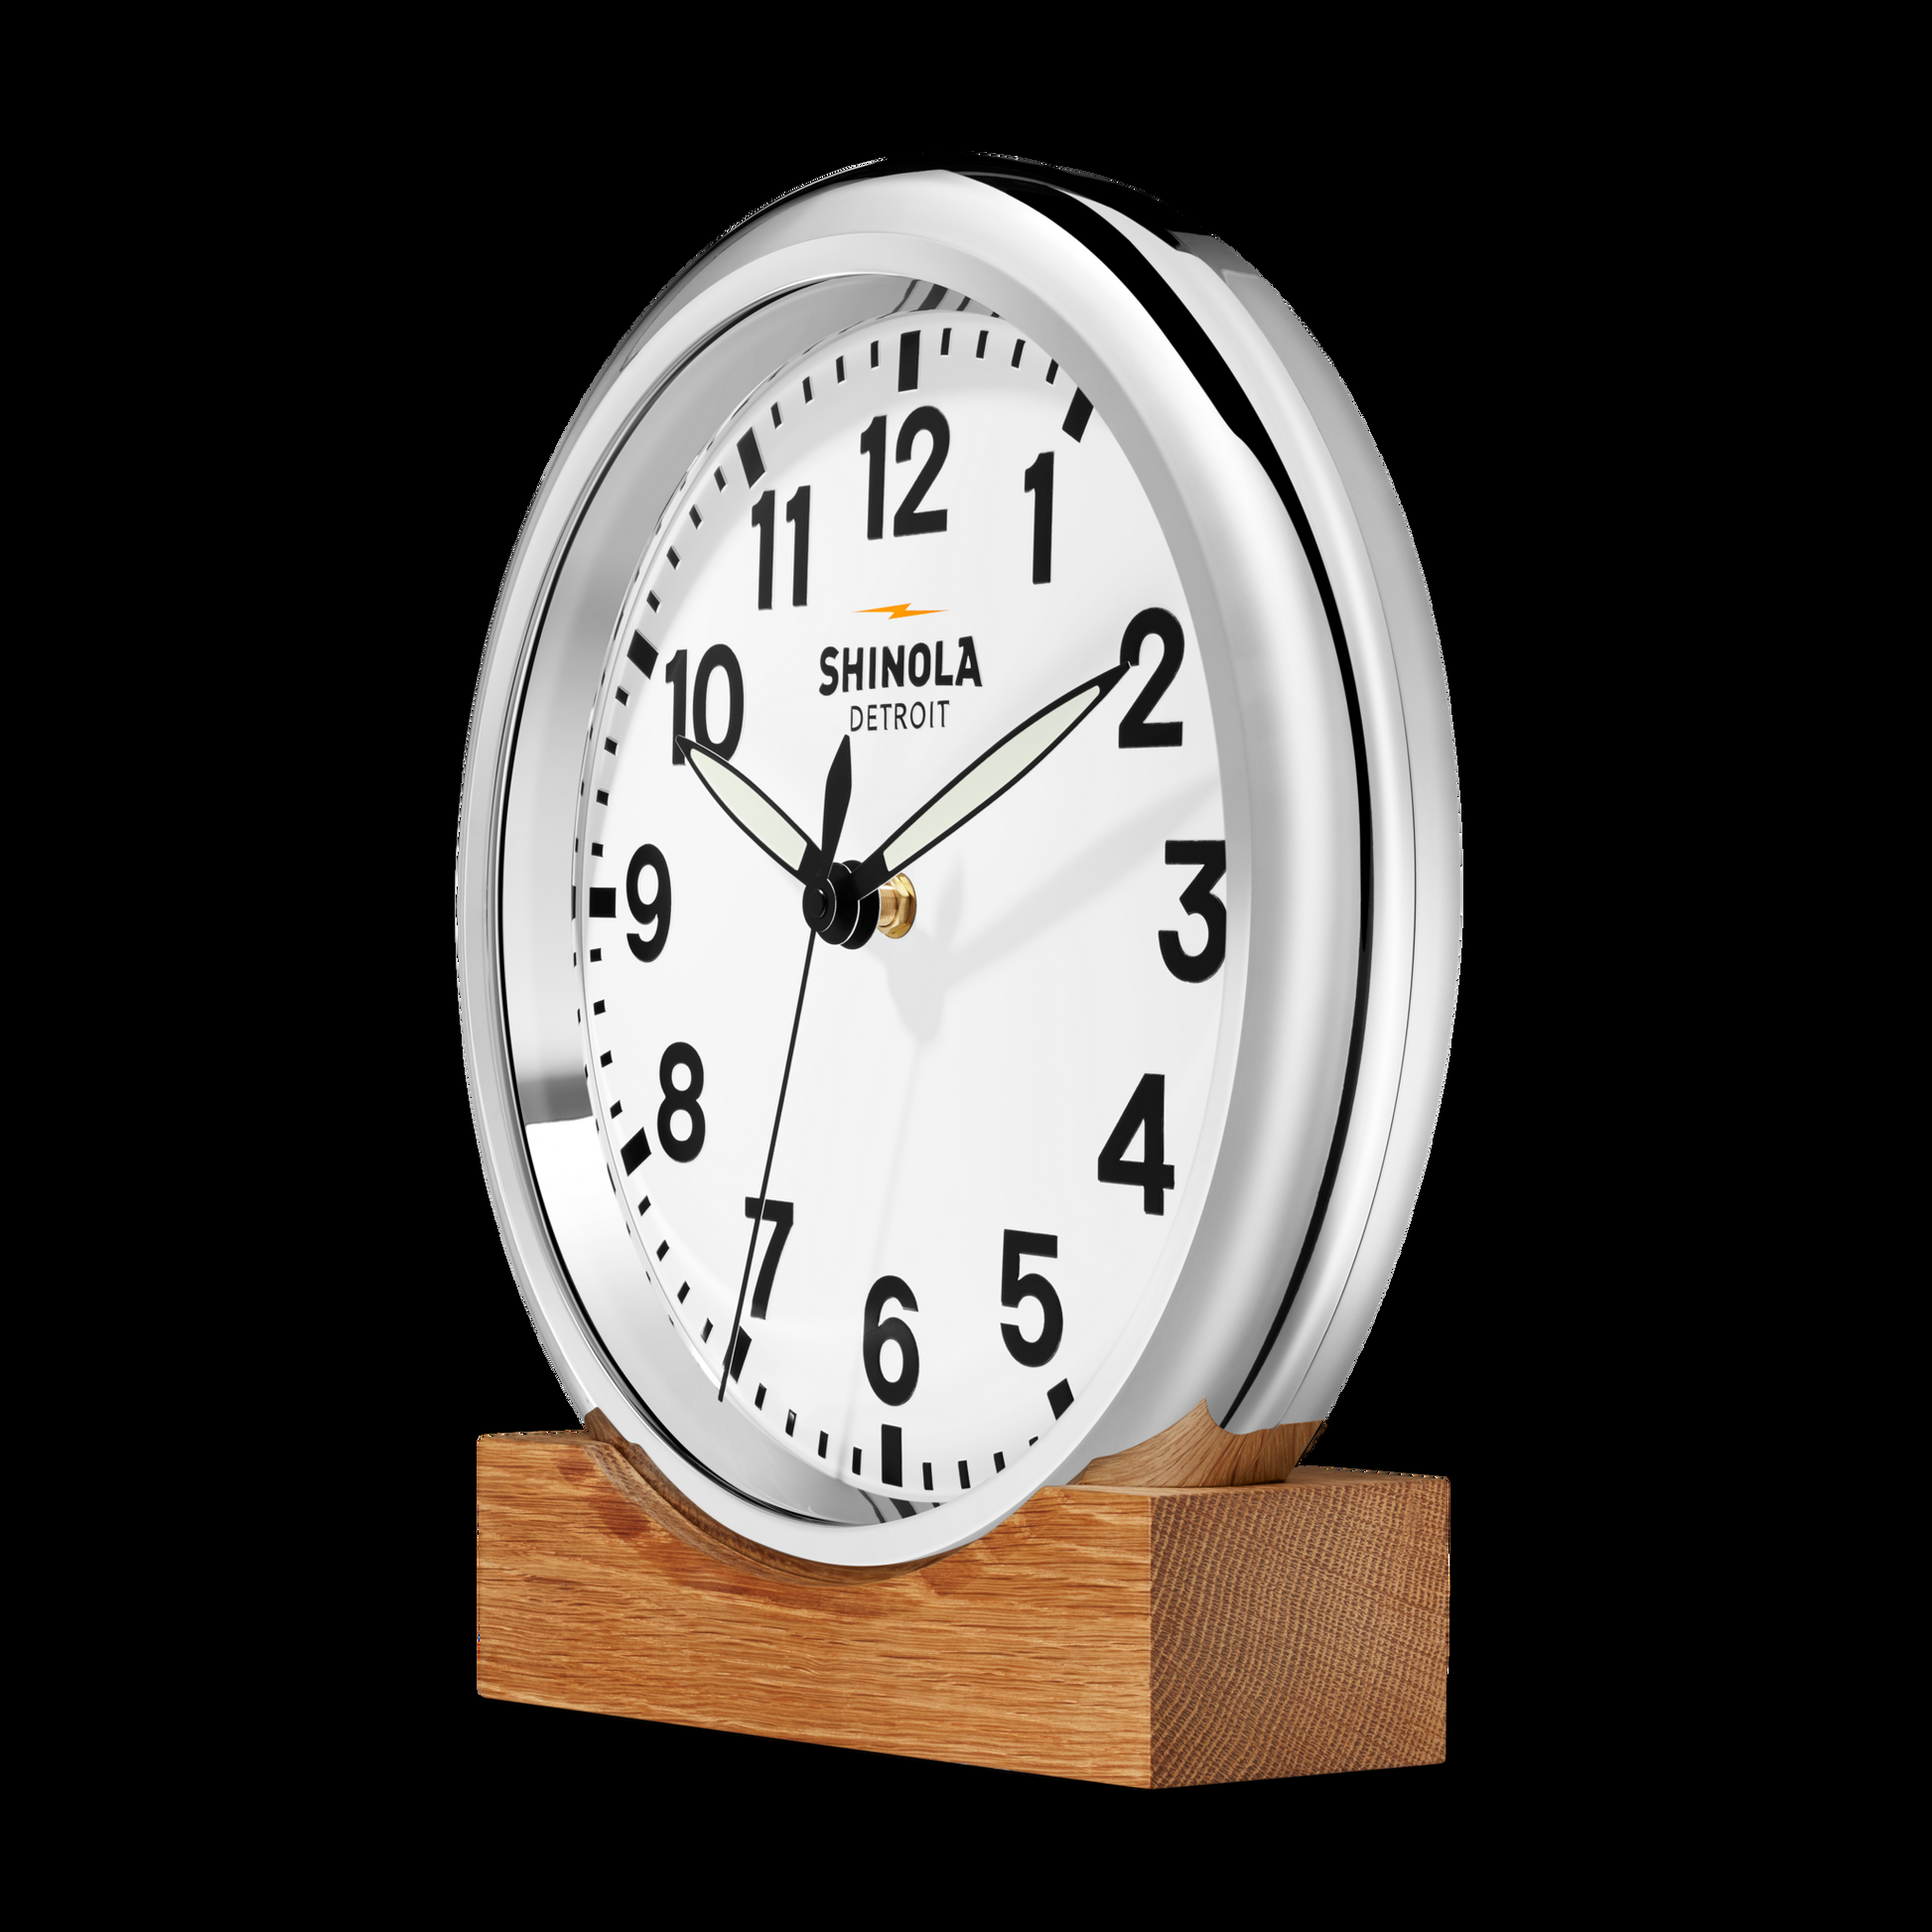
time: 12:09
